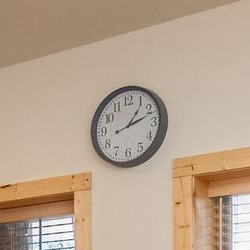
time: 1:11
